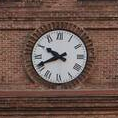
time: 9:41
